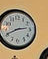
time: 2:40
